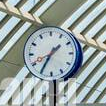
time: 1:35
